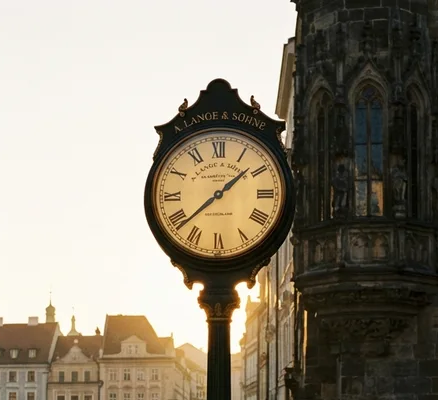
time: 1:38
